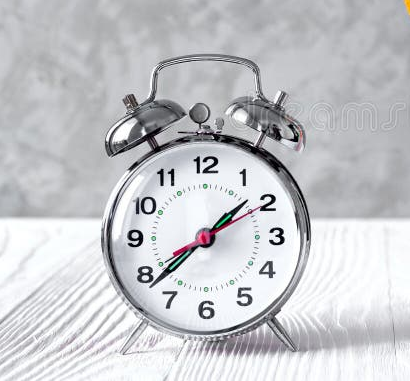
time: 1:38
